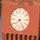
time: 7:25
